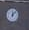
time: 12:07
